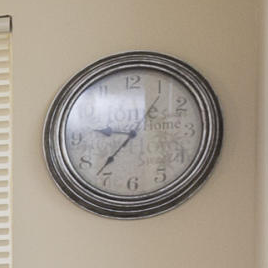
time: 9:36
